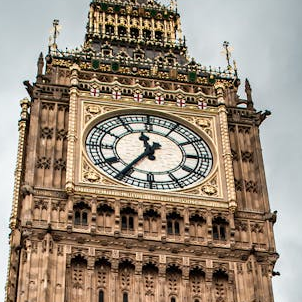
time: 11:35
